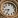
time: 8:33
